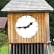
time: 1:44
